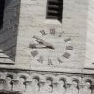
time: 9:43
